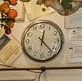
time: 12:23
